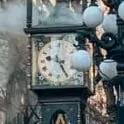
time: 9:25
